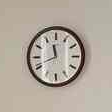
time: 11:41
